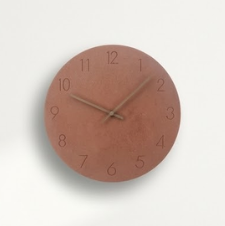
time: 9:48
